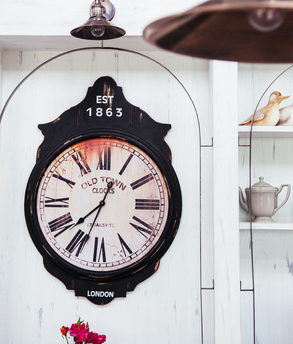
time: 12:37
